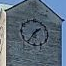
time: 1:35
